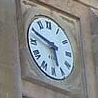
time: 5:49
